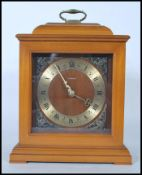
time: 3:54
